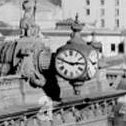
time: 2:48
